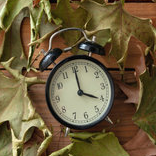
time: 4:00
